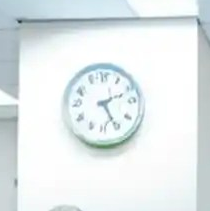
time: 2:25
